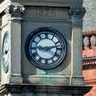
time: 9:12
